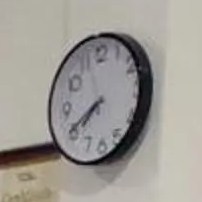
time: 7:40
